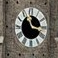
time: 11:17
